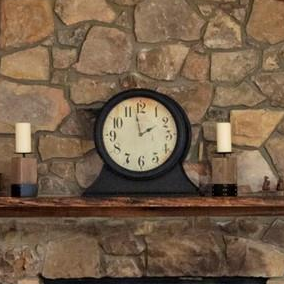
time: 1:58
